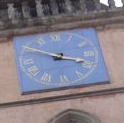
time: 3:50
